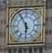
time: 5:55
